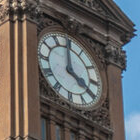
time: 3:59
